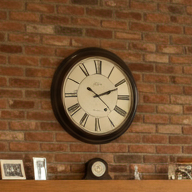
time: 2:21
